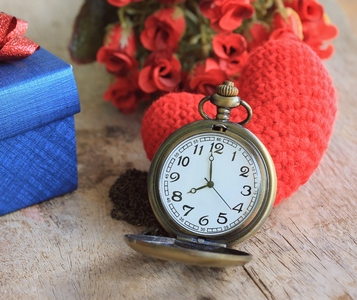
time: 7:58
